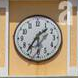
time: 1:36
